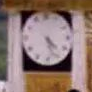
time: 4:26
